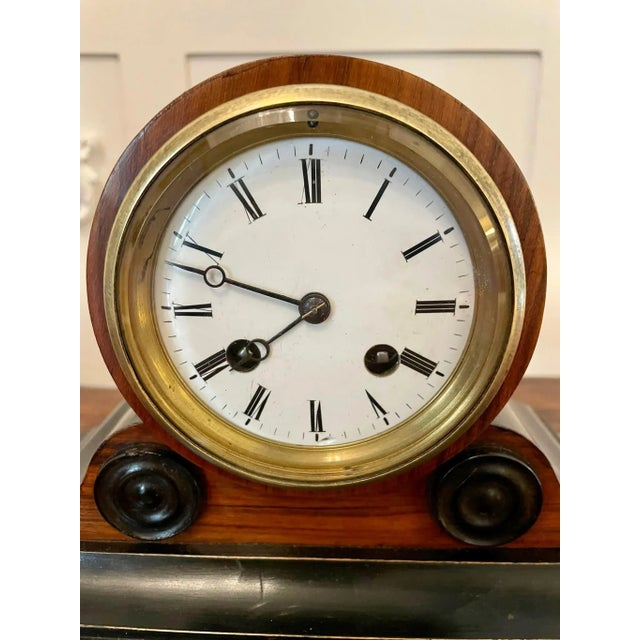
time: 7:48
